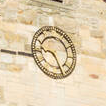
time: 9:25
